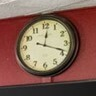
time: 12:18
